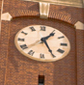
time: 1:25
